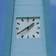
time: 1:39
